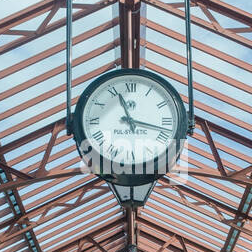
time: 11:17
